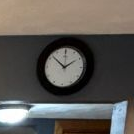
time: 1:51
